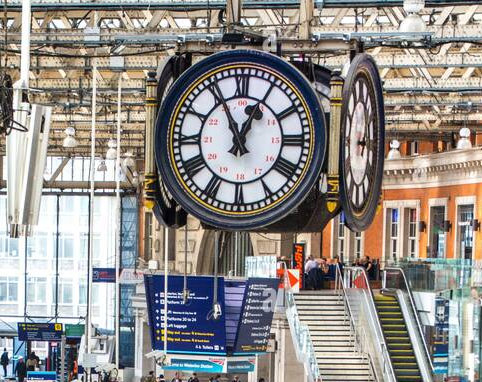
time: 12:55
